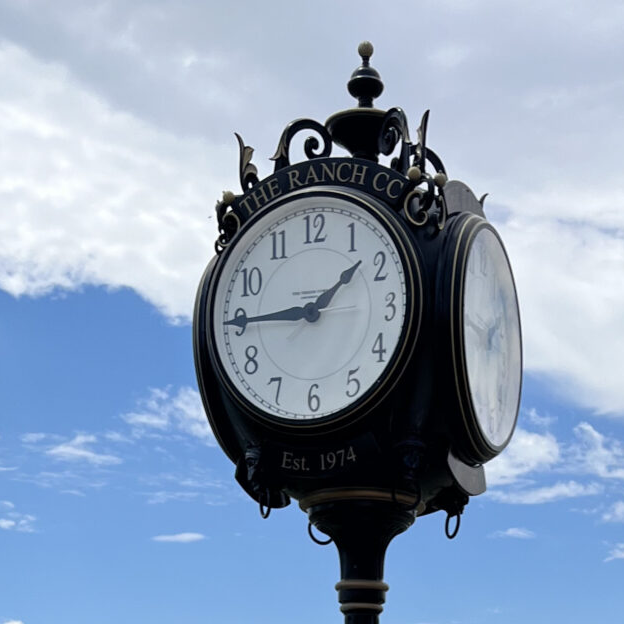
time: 1:44
